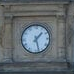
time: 1:27
